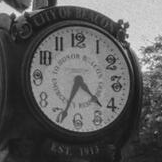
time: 4:34
